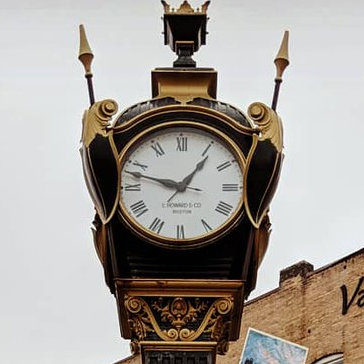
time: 12:47
